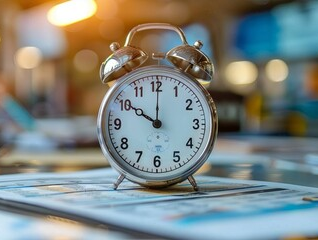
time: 10:00
